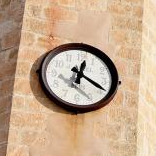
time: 12:19
